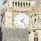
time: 1:22
